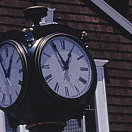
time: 12:55
